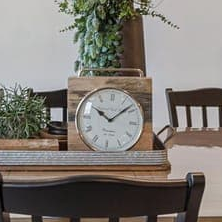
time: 10:08
